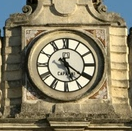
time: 5:20
